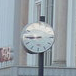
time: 8:44
